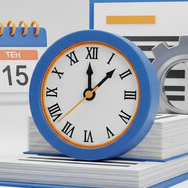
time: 12:07
